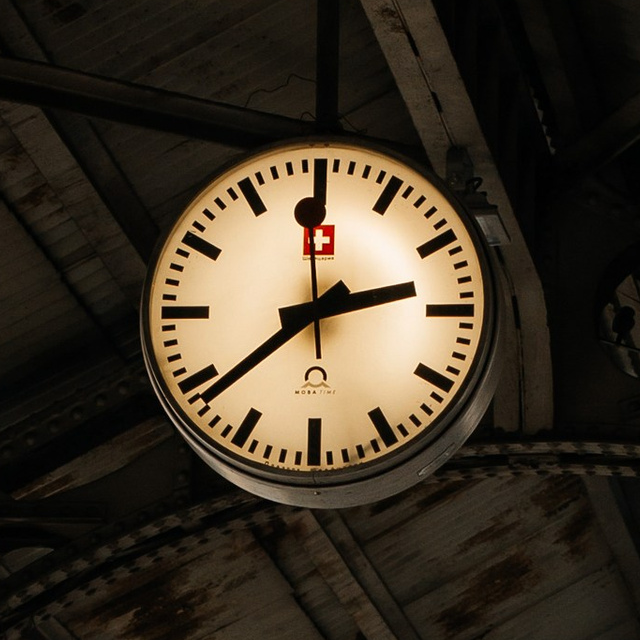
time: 2:38
